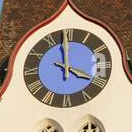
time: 3:58
